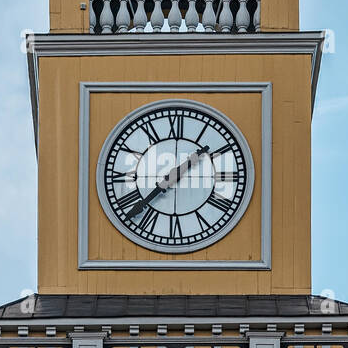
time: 1:37
